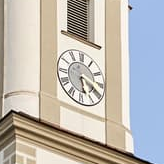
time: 5:18
